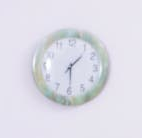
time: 1:29
